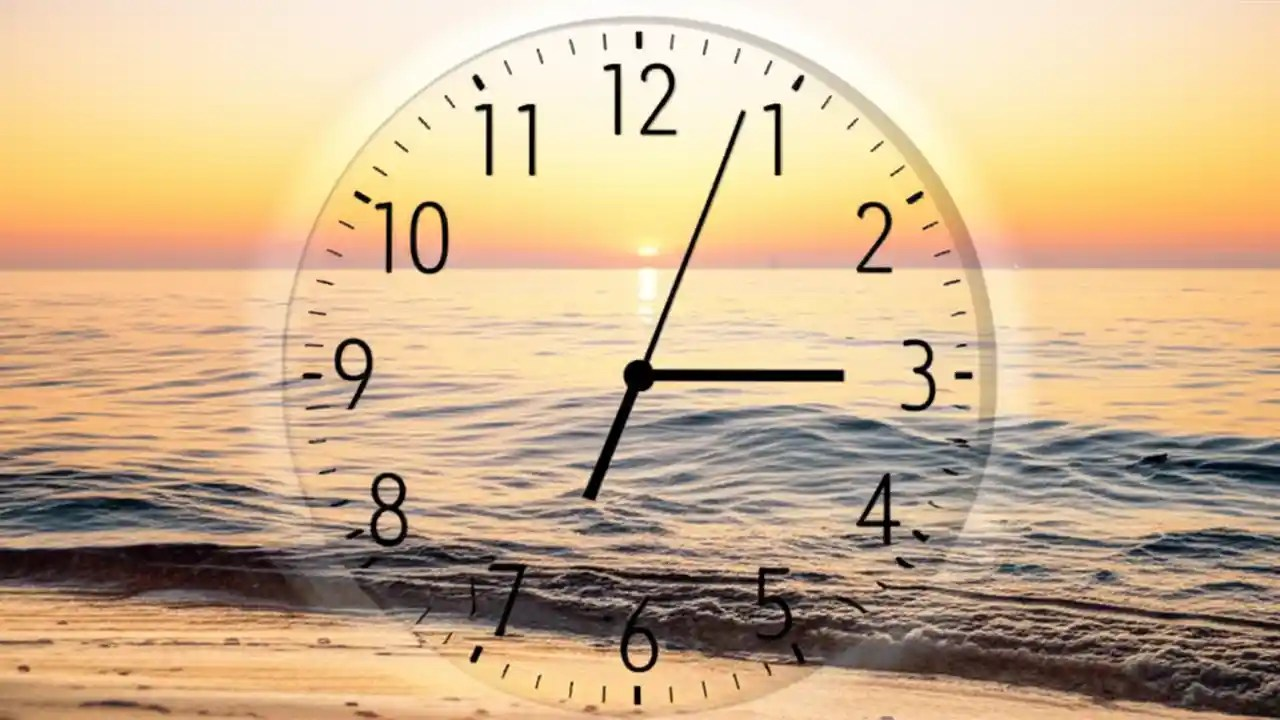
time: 3:03
